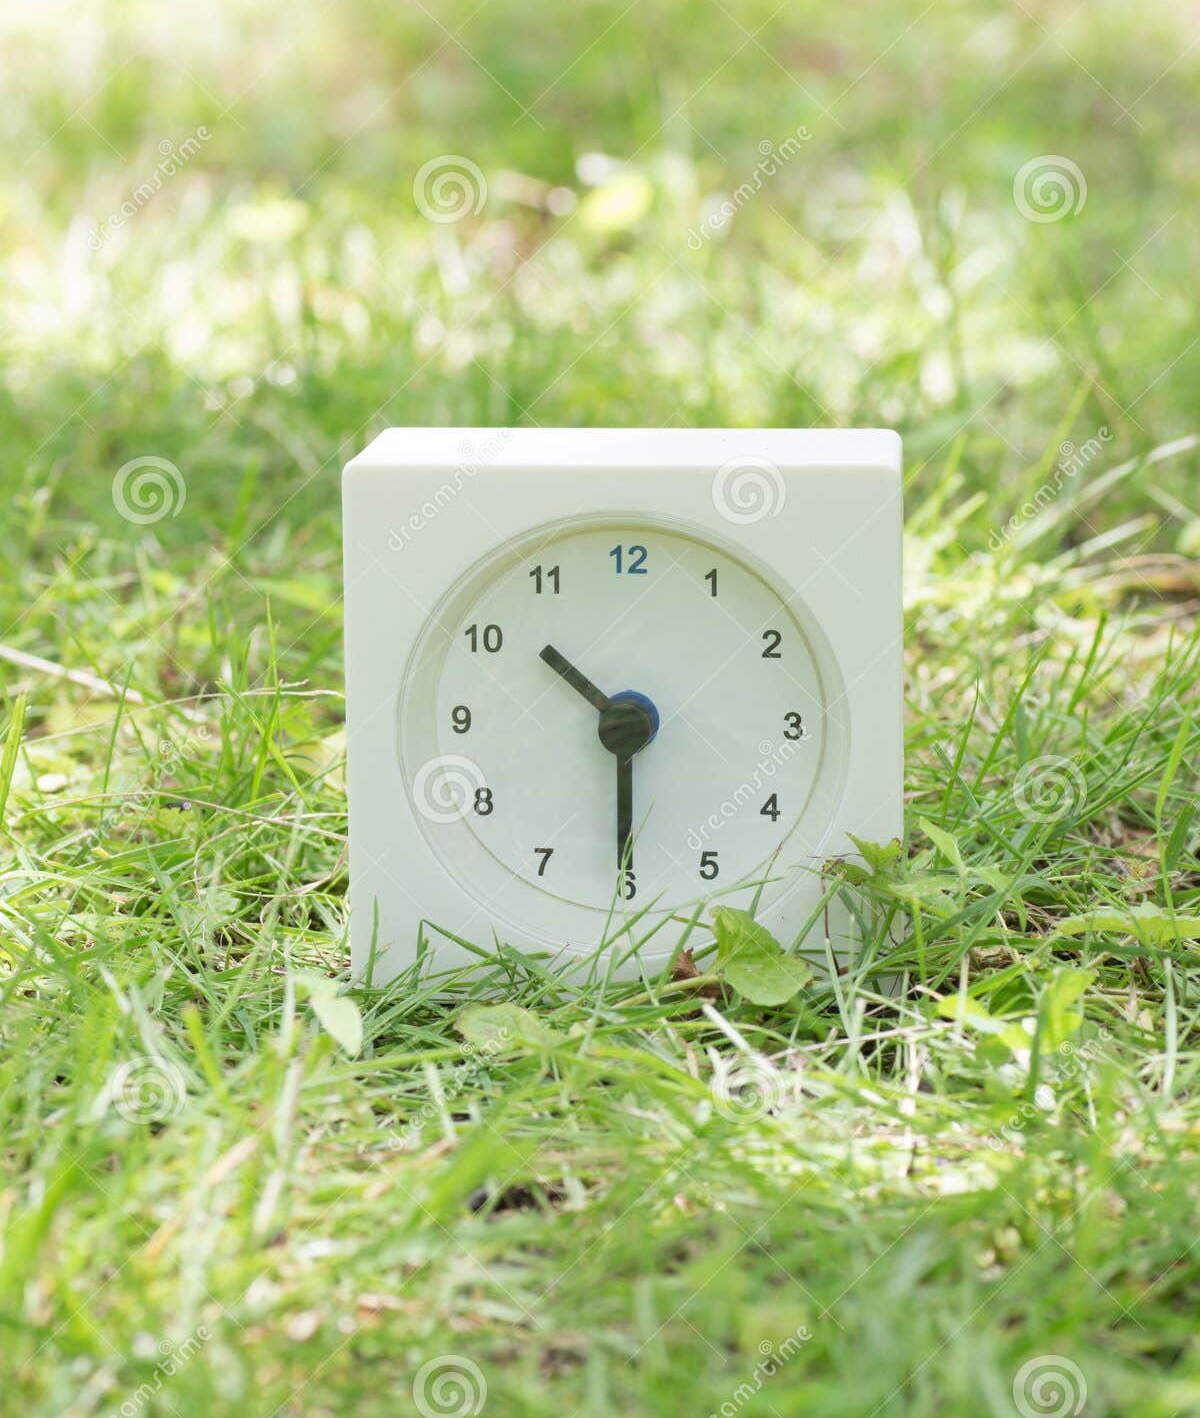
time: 10:30
